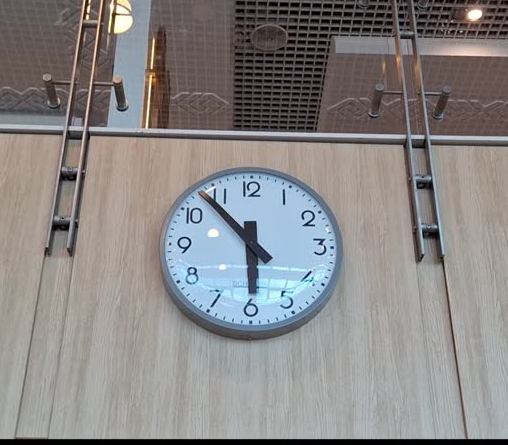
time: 5:53
